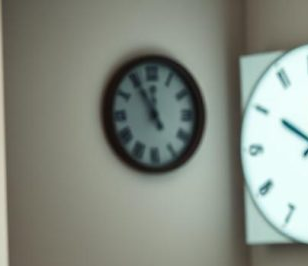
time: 11:55
